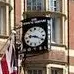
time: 9:19
